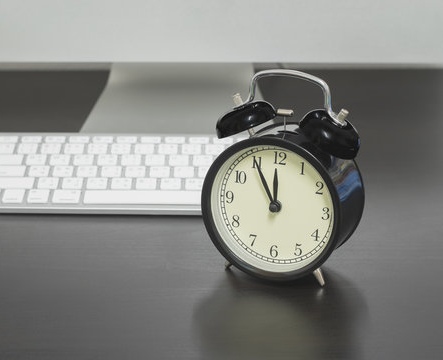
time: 11:55
